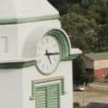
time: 5:14
